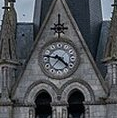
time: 9:22
